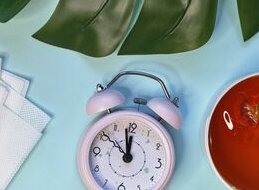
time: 11:50
